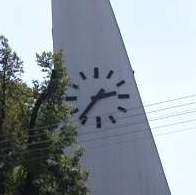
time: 2:36
